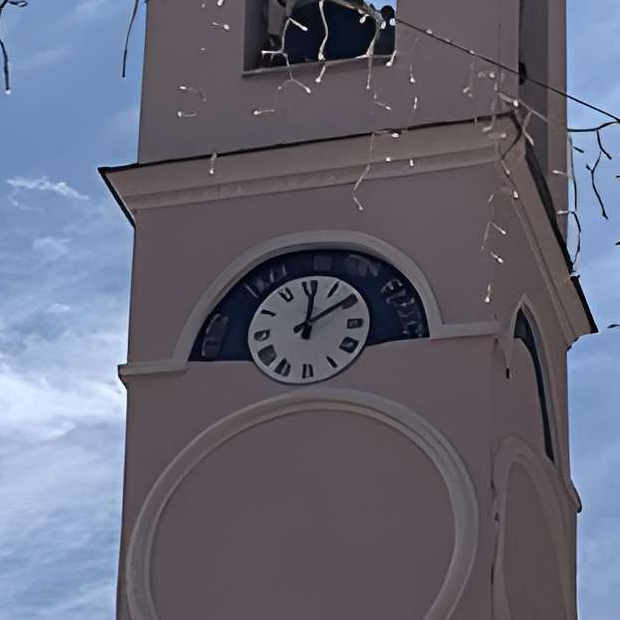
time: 12:09
